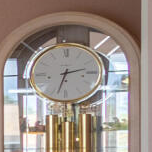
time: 2:33
